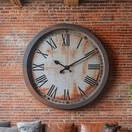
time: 10:09
